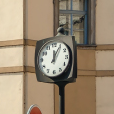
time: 12:04
